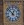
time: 12:52
